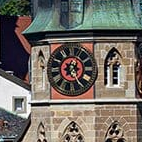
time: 7:25
